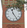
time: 11:24
